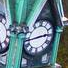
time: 2:43
